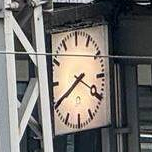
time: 3:40
